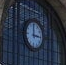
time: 2:59
